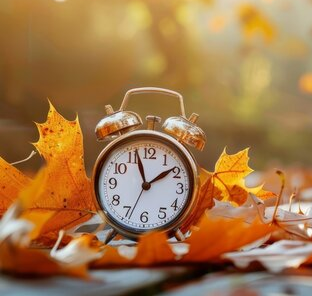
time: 1:56
